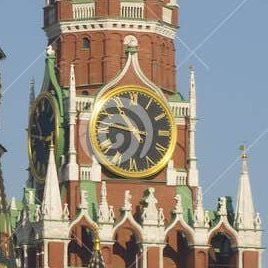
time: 10:47
